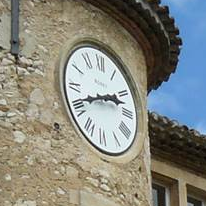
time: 2:41
